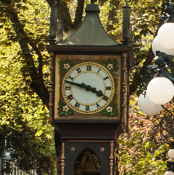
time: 3:47
